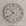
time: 10:39
